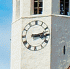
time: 3:12
